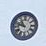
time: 10:48
